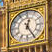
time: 12:24
